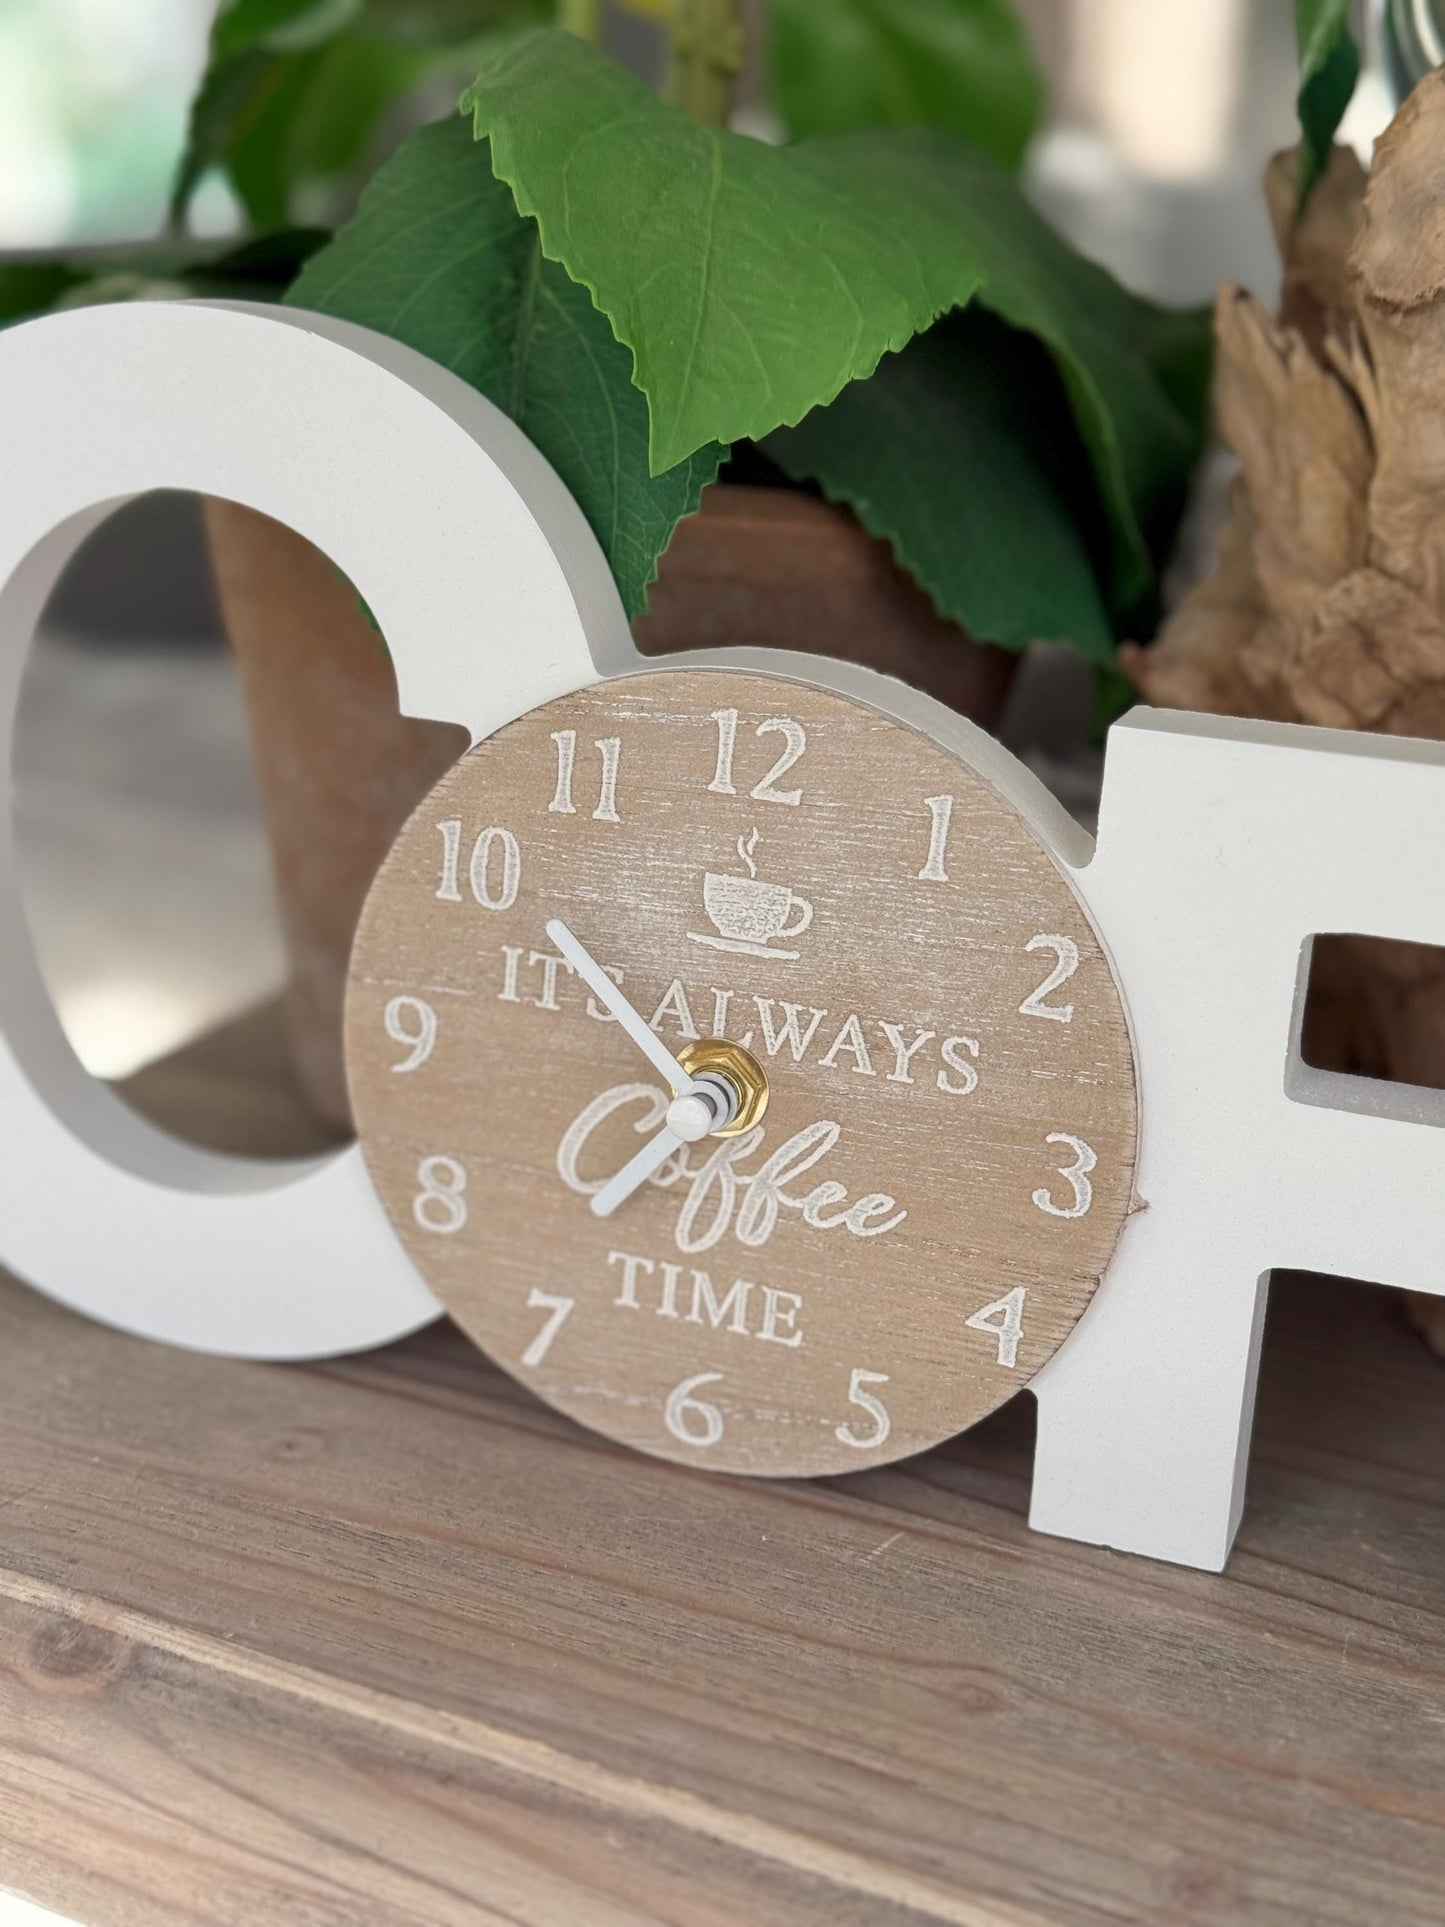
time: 6:50
